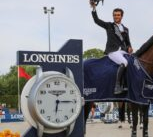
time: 6:15
